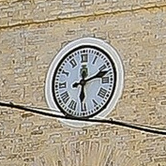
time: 6:12
